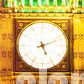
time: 5:11
